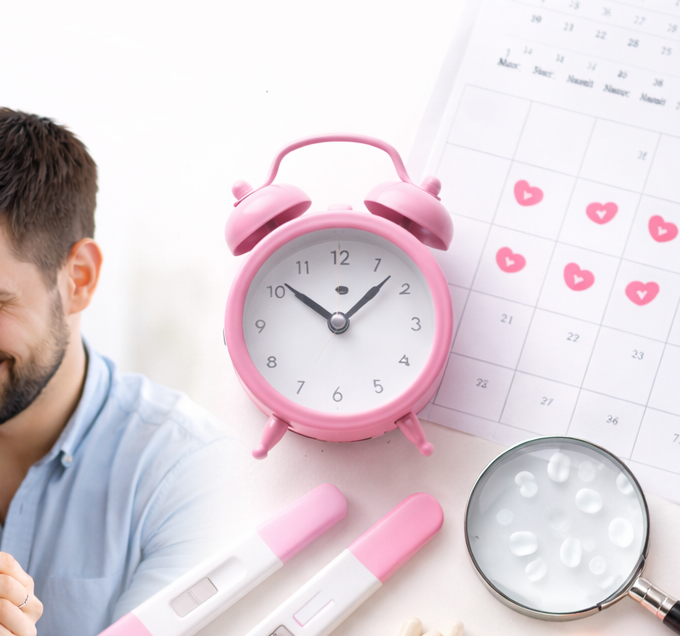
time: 10:07
